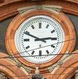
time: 2:49
